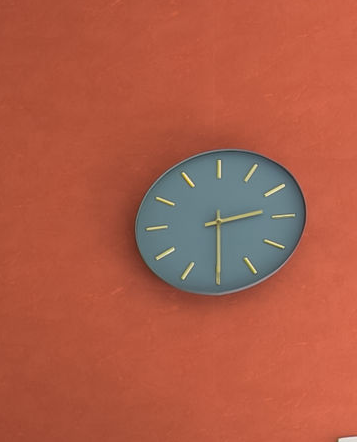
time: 2:30
